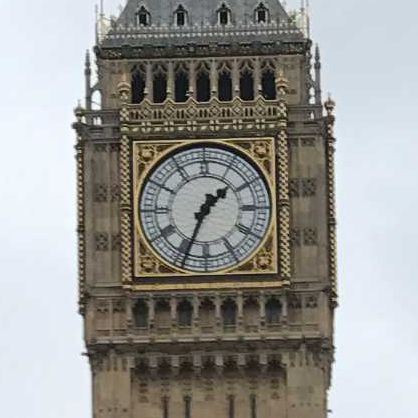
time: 1:33
